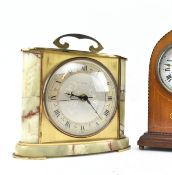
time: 9:22
